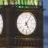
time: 5:05
